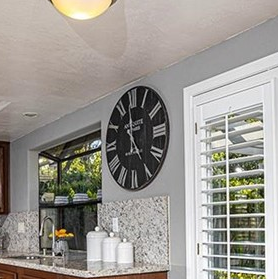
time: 4:59
